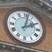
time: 2:02
